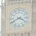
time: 3:40
